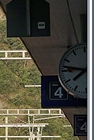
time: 7:46
